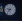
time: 9:37
